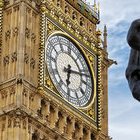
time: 6:12
